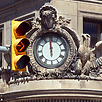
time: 11:59
